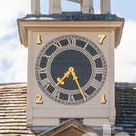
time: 7:25
